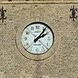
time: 2:06
